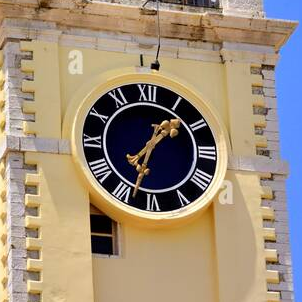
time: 1:33
